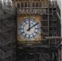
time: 12:09
